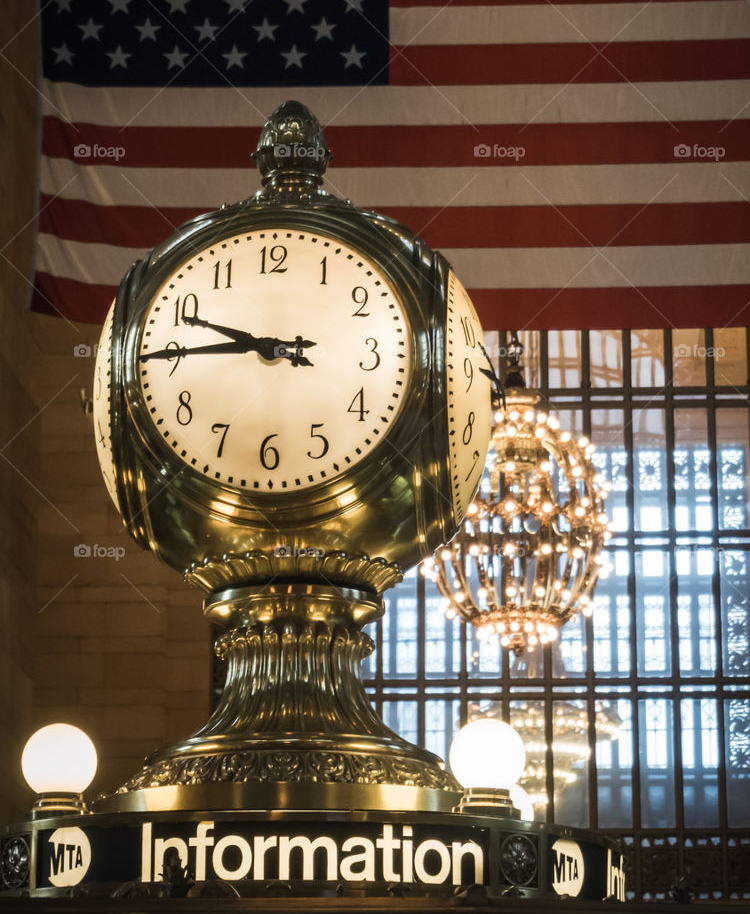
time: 9:45
